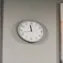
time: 11:42
